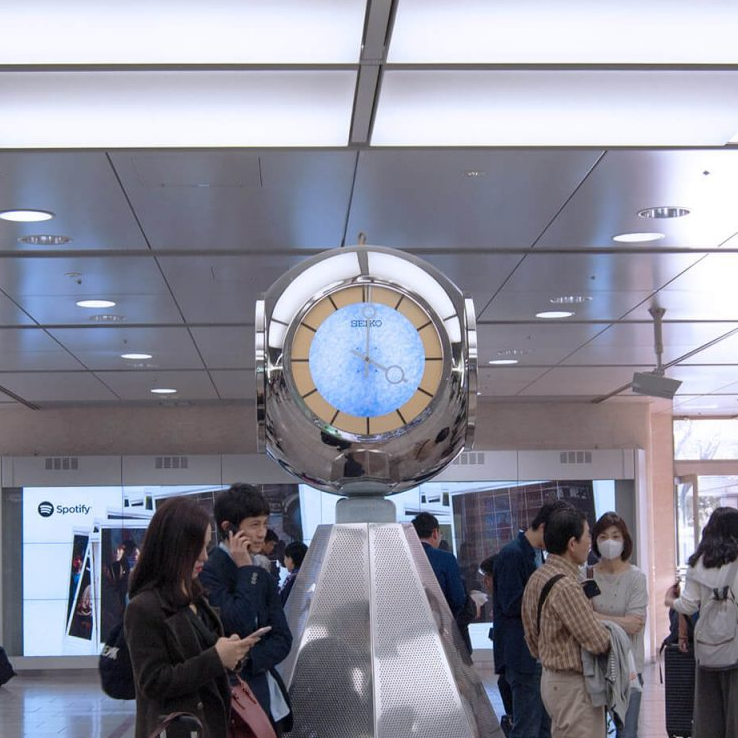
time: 4:00
